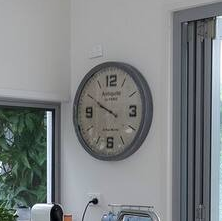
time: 9:49
